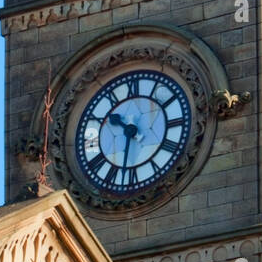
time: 10:32
